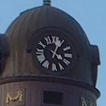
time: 4:04
